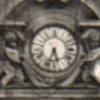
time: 5:33
